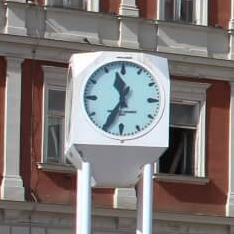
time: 11:34
